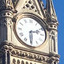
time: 2:30
